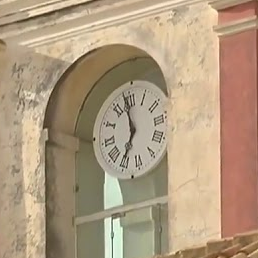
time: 6:58
